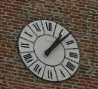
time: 1:07
